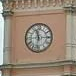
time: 11:32
